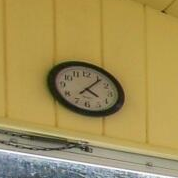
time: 4:06
